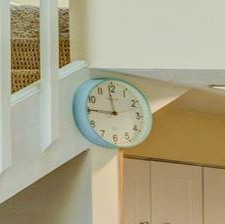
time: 11:45
